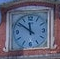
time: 11:51
